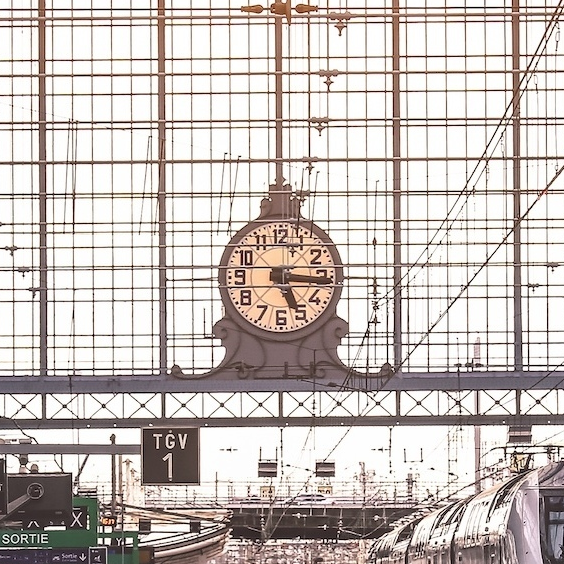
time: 5:15
